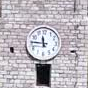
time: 11:45
